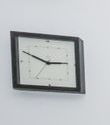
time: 2:49
